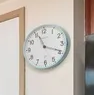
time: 11:18
